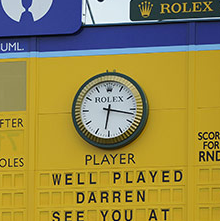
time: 6:16
